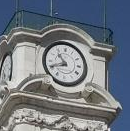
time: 10:41
